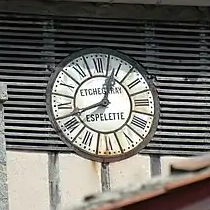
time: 12:42
